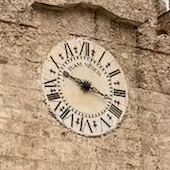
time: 3:48
